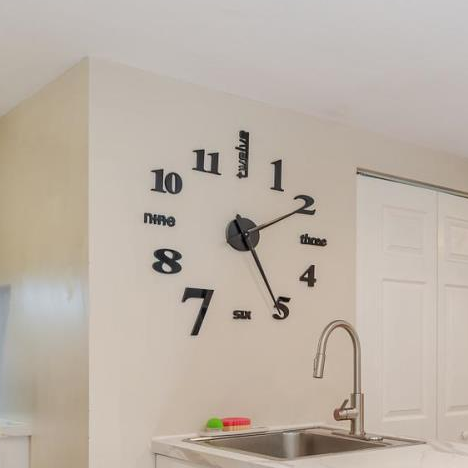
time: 5:10
